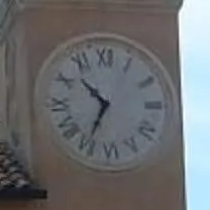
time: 10:34
